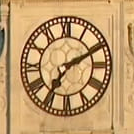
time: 7:10
